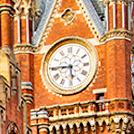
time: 5:44
